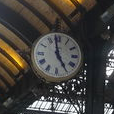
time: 4:58
